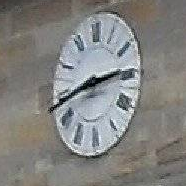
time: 2:43
